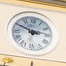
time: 2:49
